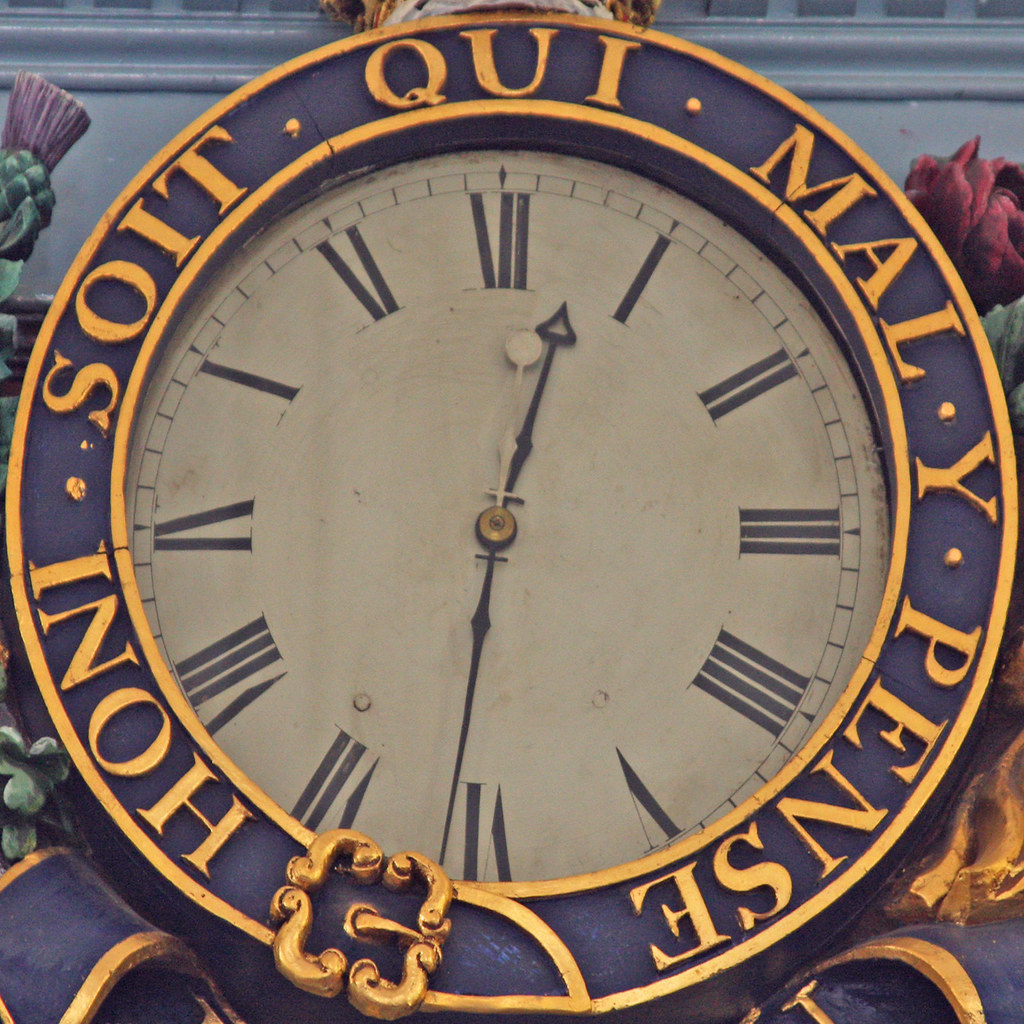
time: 12:31
